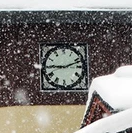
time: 9:11
